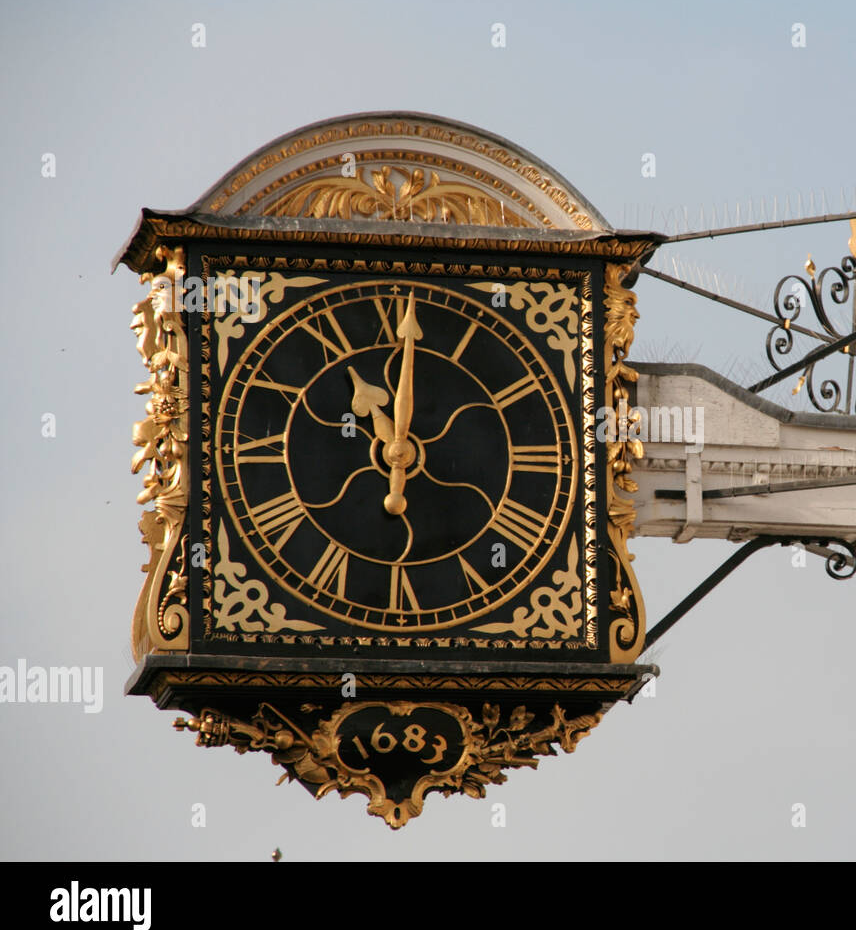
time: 11:00
